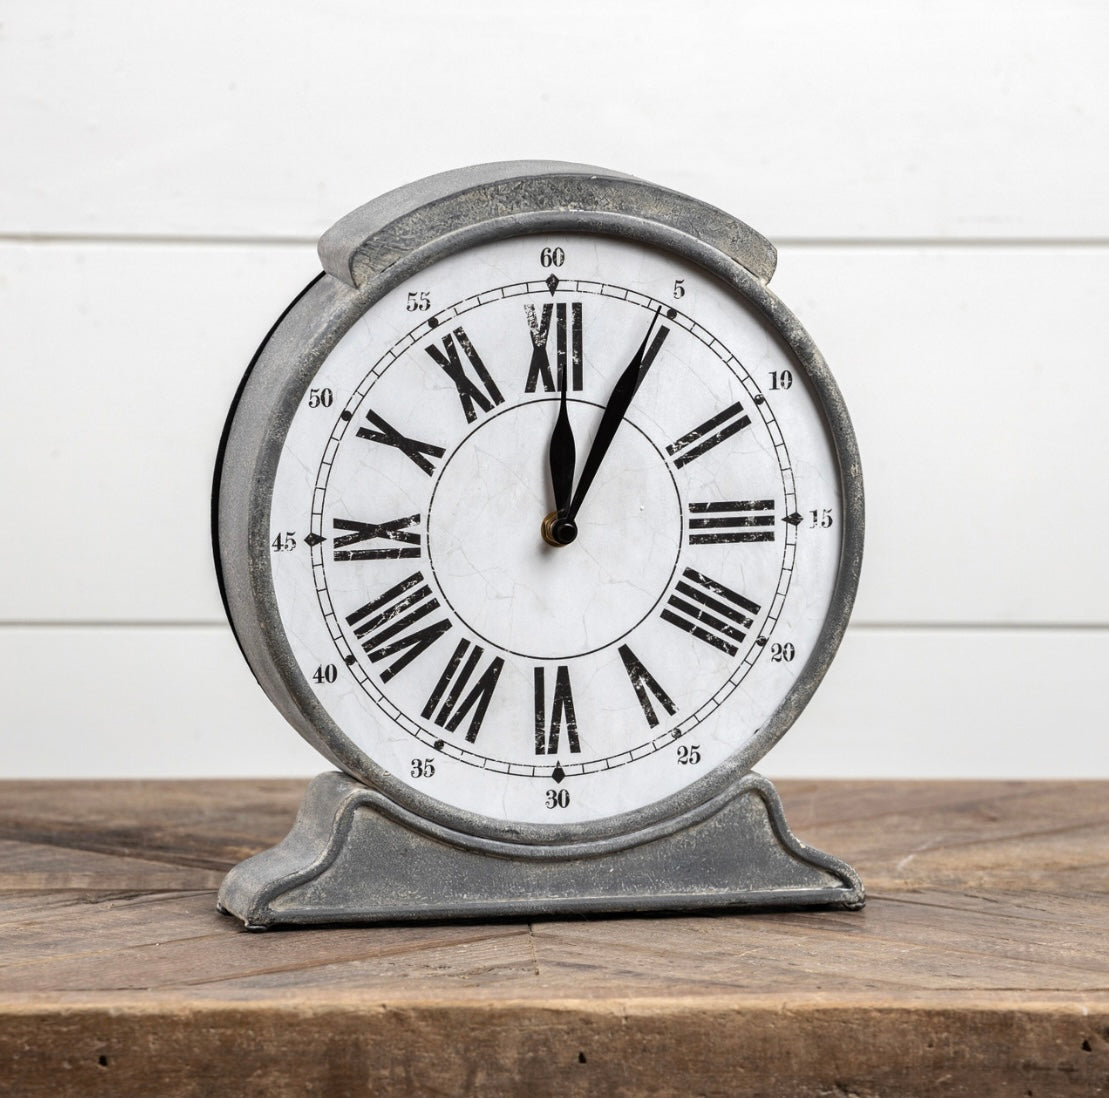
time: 12:04
